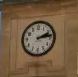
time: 2:13
